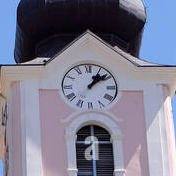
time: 1:08
